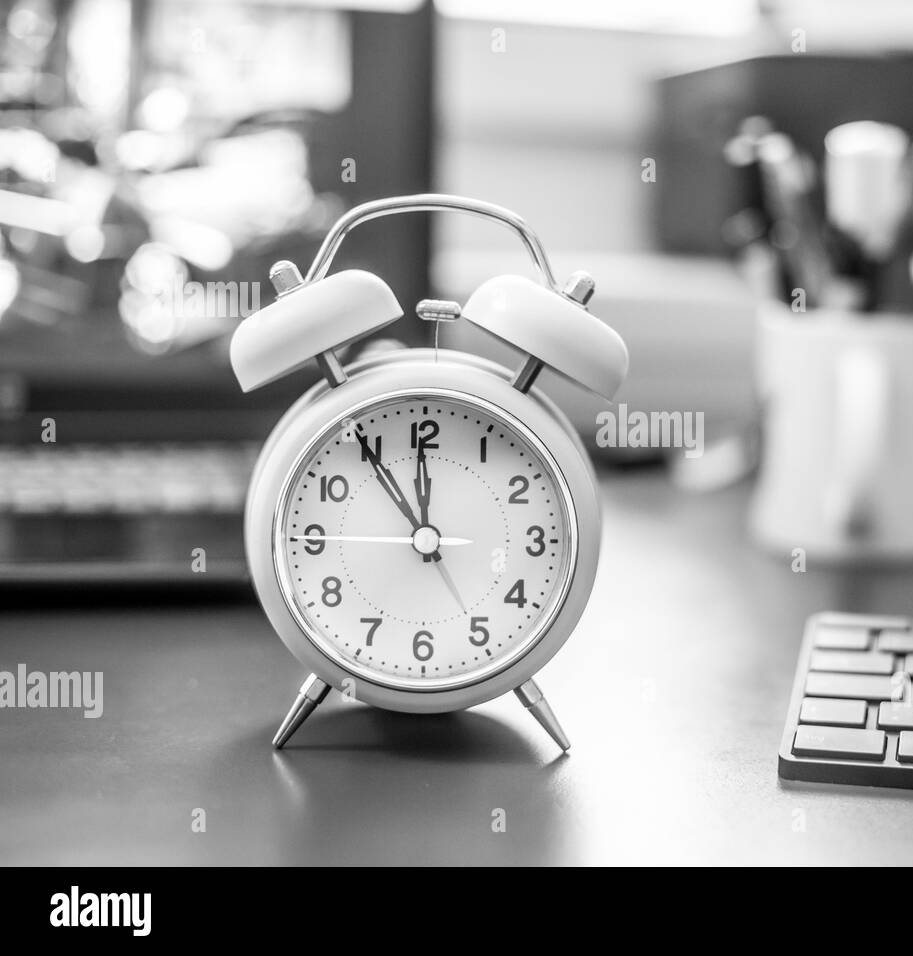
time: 11:54
